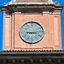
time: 3:13
